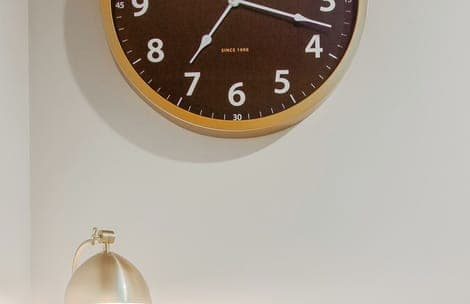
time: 7:17
